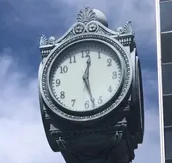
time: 12:27
